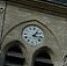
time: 1:16
